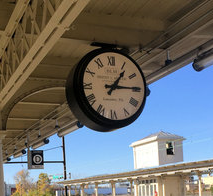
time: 1:14
